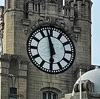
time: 5:57
